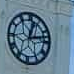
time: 12:13
